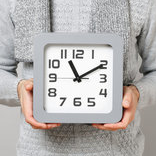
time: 11:09
